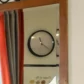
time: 11:21
